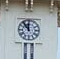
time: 11:53
